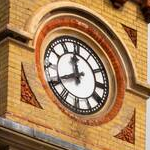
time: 11:40
